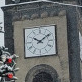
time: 10:08
